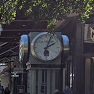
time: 2:03
